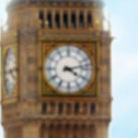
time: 4:12
